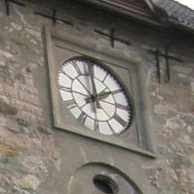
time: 1:59
